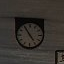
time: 4:54
